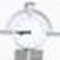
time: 8:45
